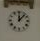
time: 12:07
